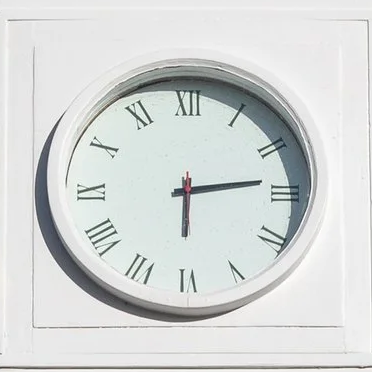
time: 6:13
